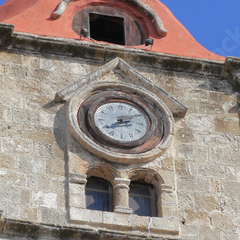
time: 2:38
